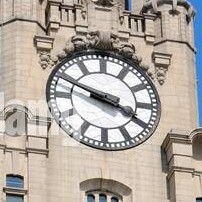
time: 3:48
